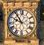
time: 9:53
